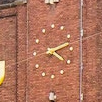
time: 4:12
